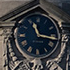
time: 11:16
